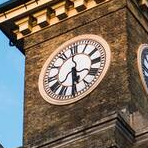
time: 5:30
